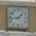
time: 1:43
